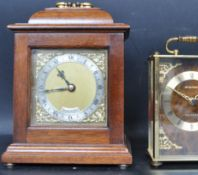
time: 10:43
